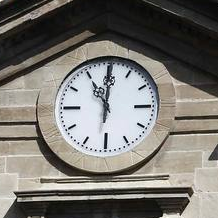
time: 11:00
